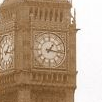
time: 1:16
